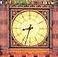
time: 8:32
